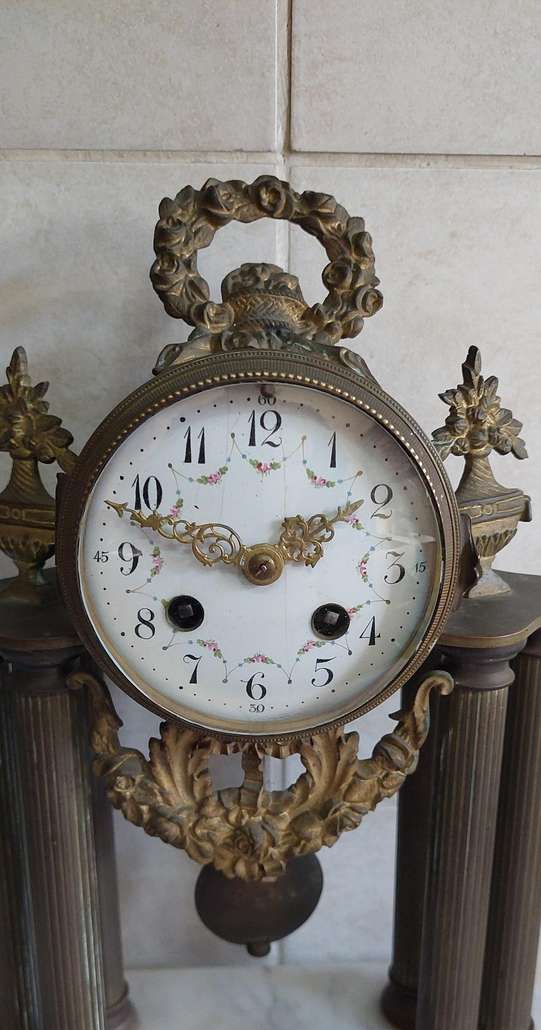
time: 1:47
